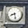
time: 8:27
